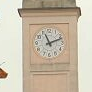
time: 11:11
